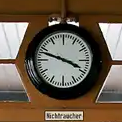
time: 3:48
